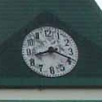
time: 8:18
